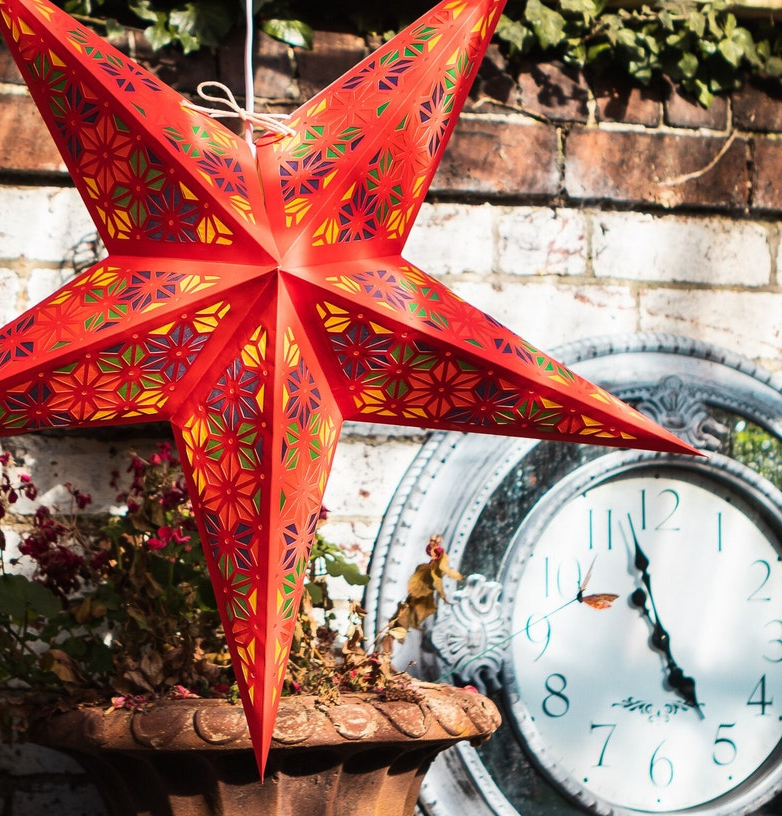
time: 4:57
